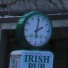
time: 2:01
